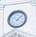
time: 10:07
